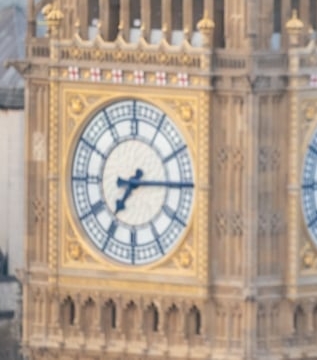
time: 7:14
